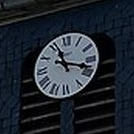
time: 11:17
